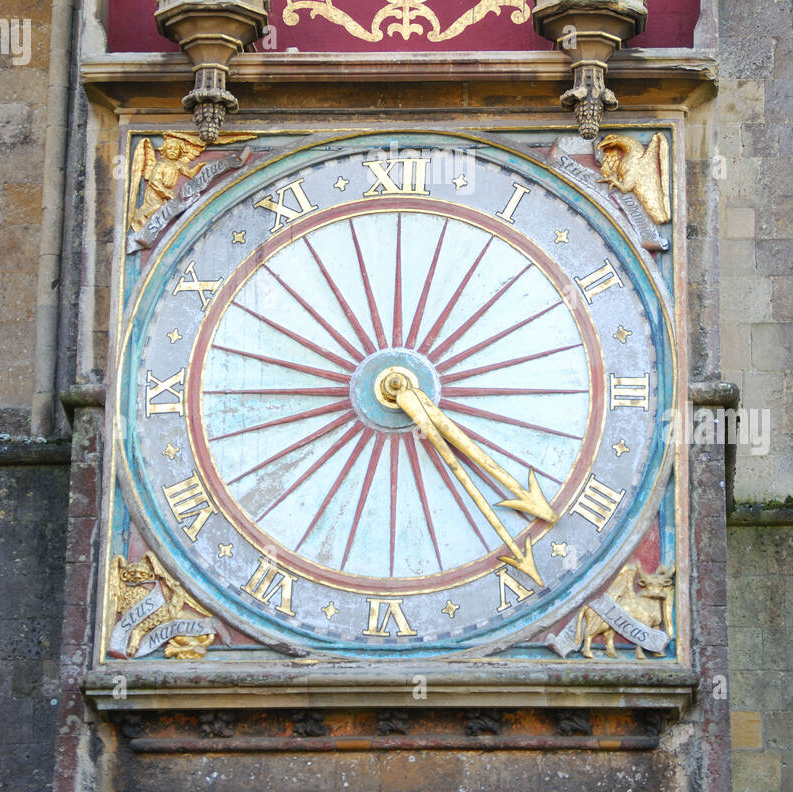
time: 4:21
